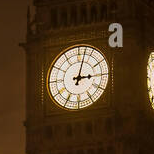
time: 3:02
